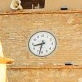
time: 8:32
